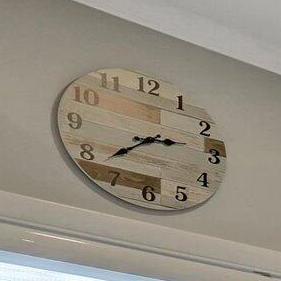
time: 2:38
